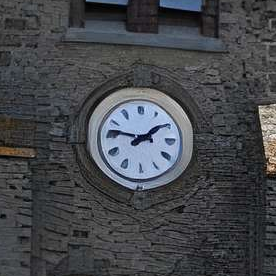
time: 1:46
